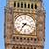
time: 7:17
